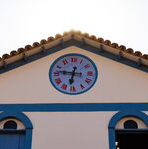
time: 6:46
